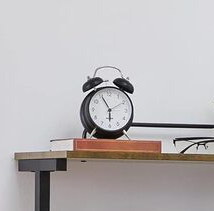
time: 5:55
